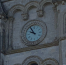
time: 9:54
